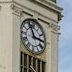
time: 2:56
